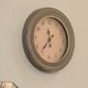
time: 11:36
